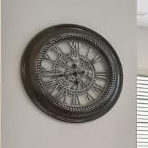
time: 11:42
